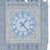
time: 1:22
